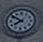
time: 7:50
